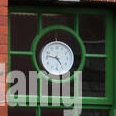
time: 4:46
